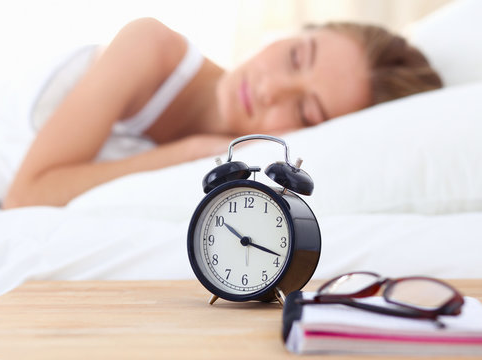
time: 10:18
